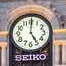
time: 5:00
